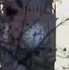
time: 2:32
